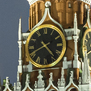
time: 4:40
